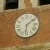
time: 6:08
